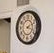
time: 2:18
